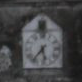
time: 5:36
